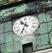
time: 10:34
